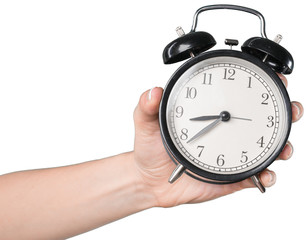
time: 8:38
